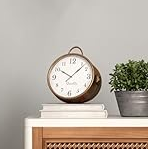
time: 10:07
